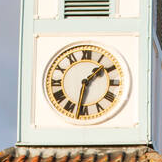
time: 1:31
